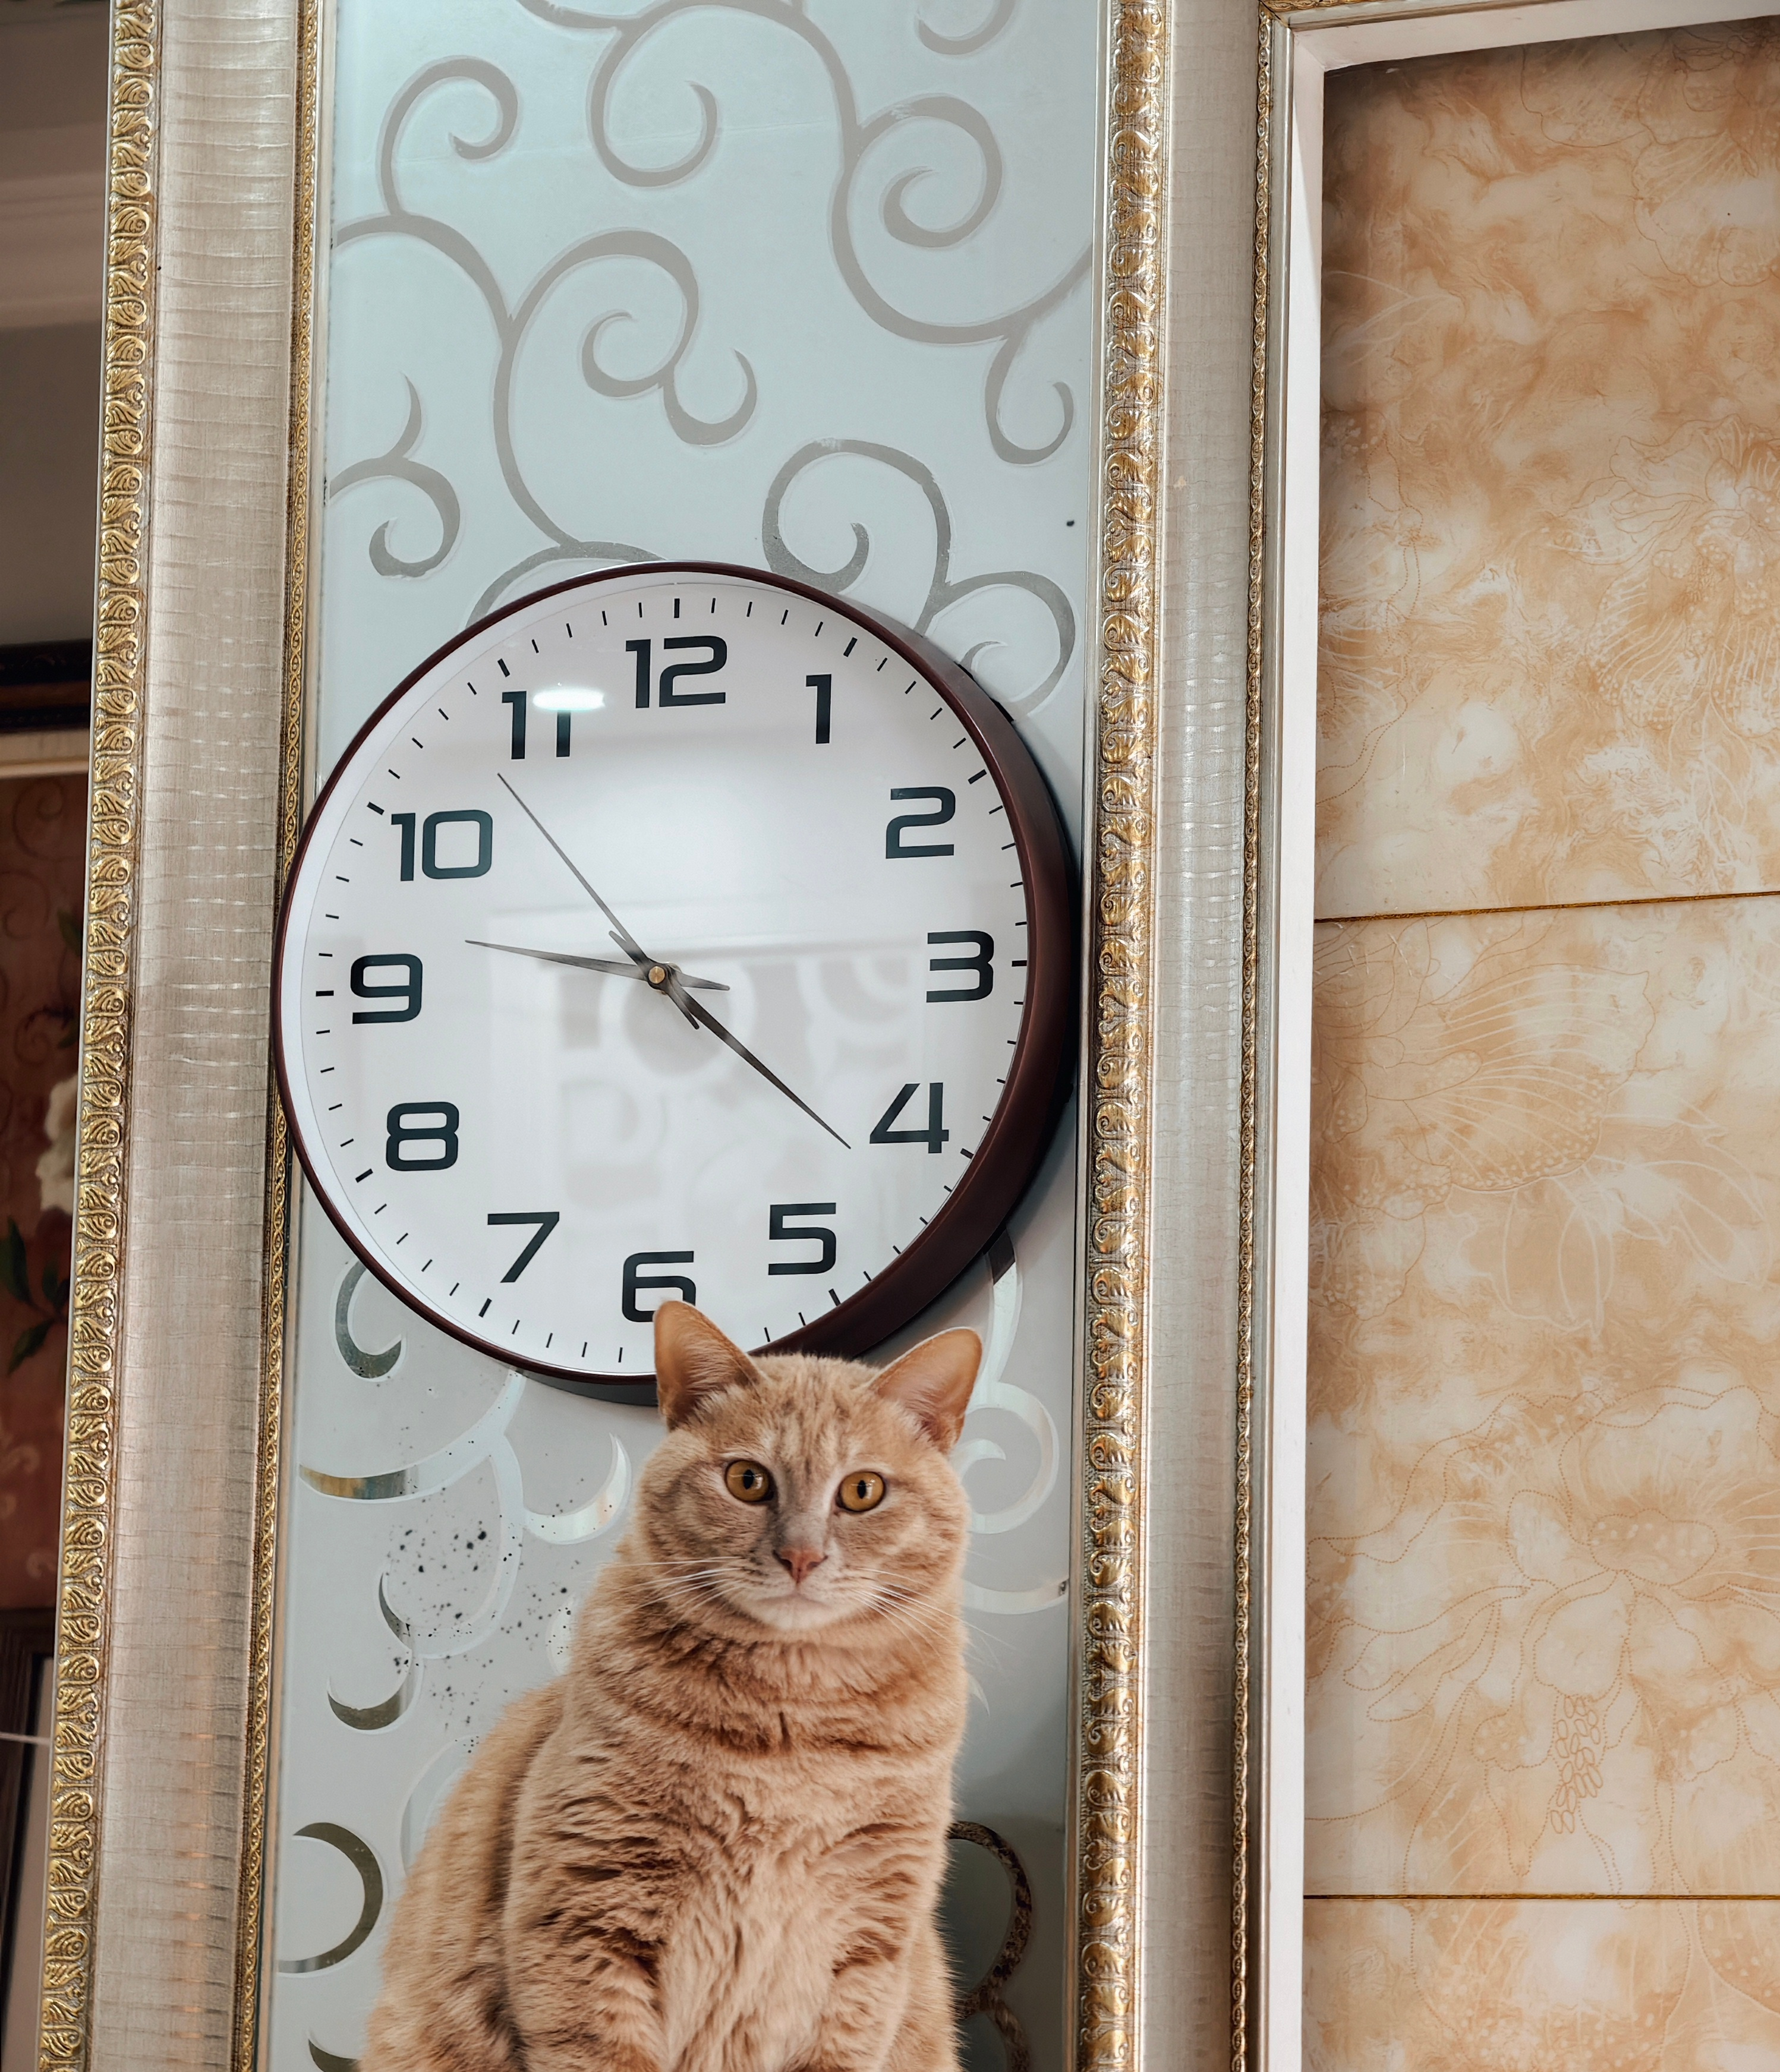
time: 9:21
